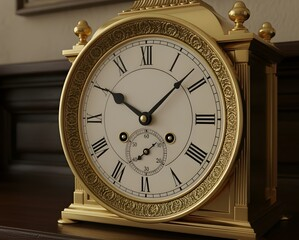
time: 10:07
